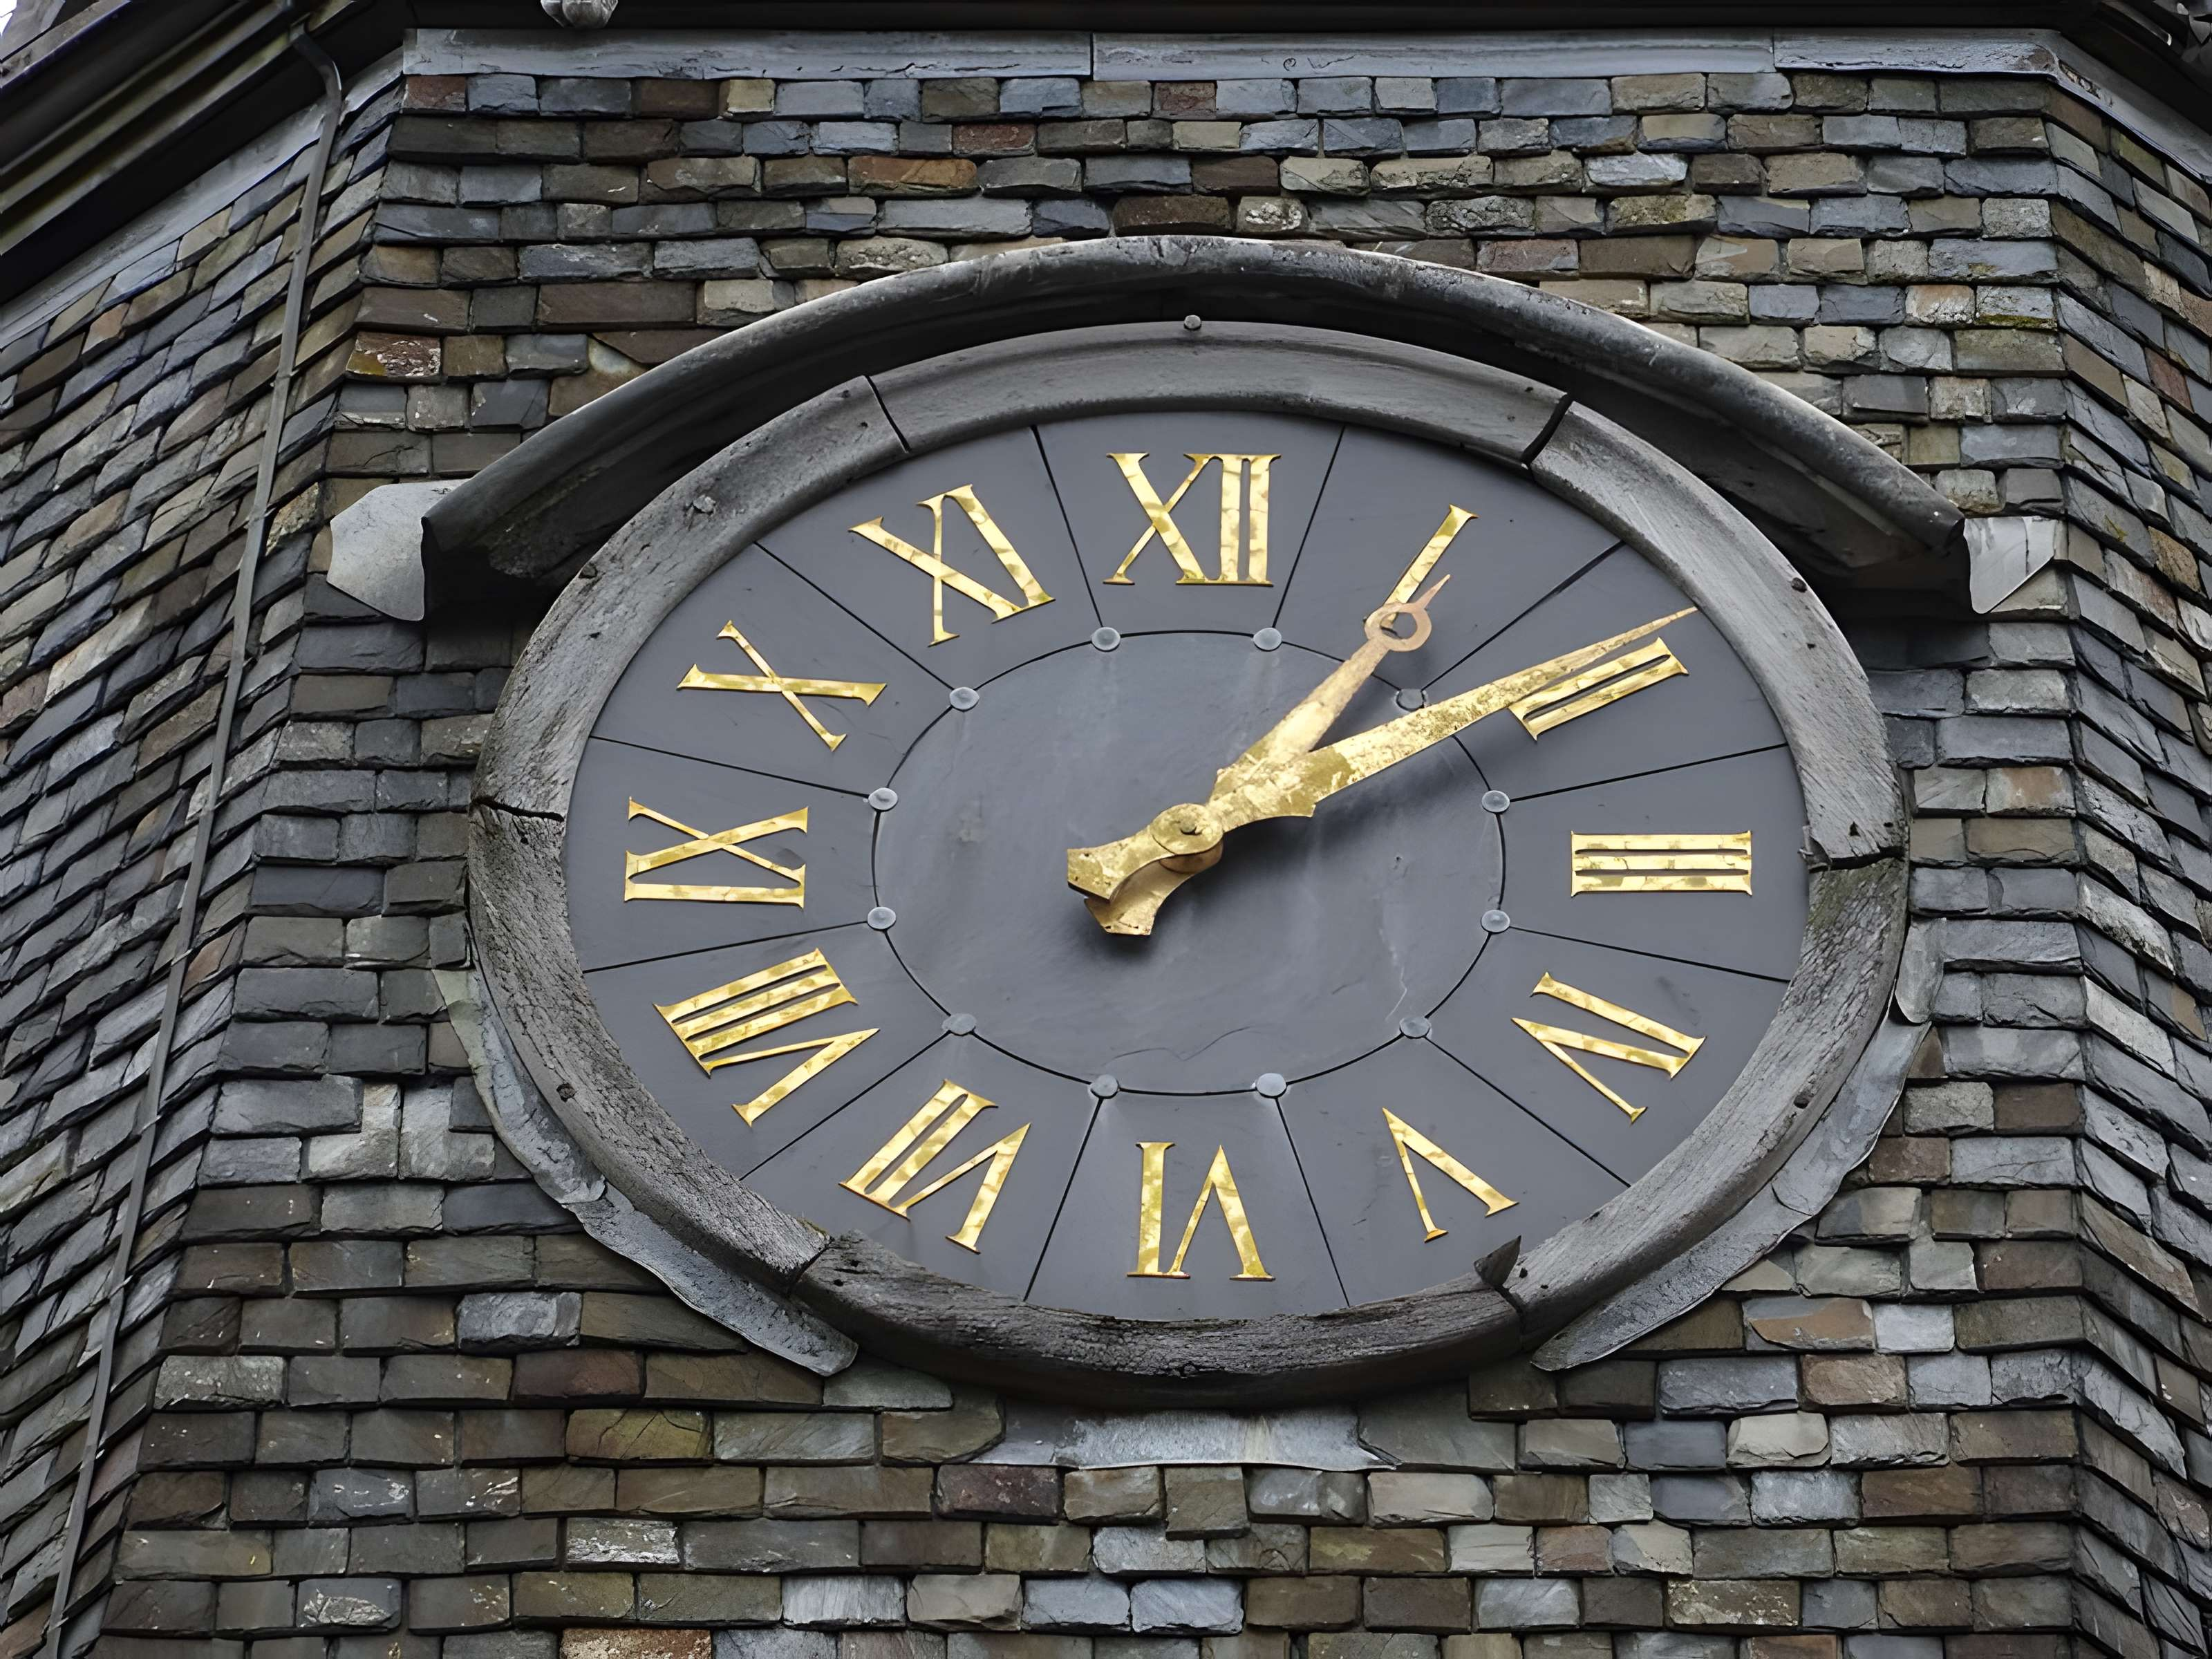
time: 1:09
